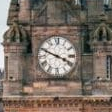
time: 3:48
